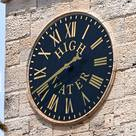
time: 1:40
